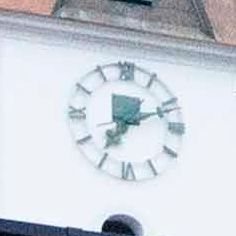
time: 7:11
